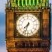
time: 7:33
